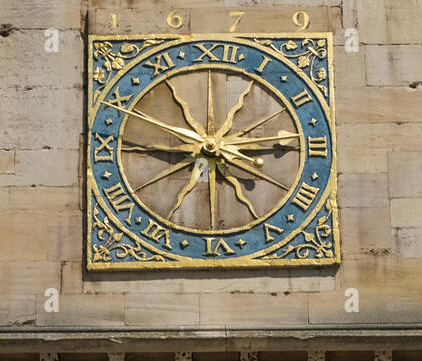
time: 2:46
